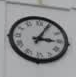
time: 3:04
